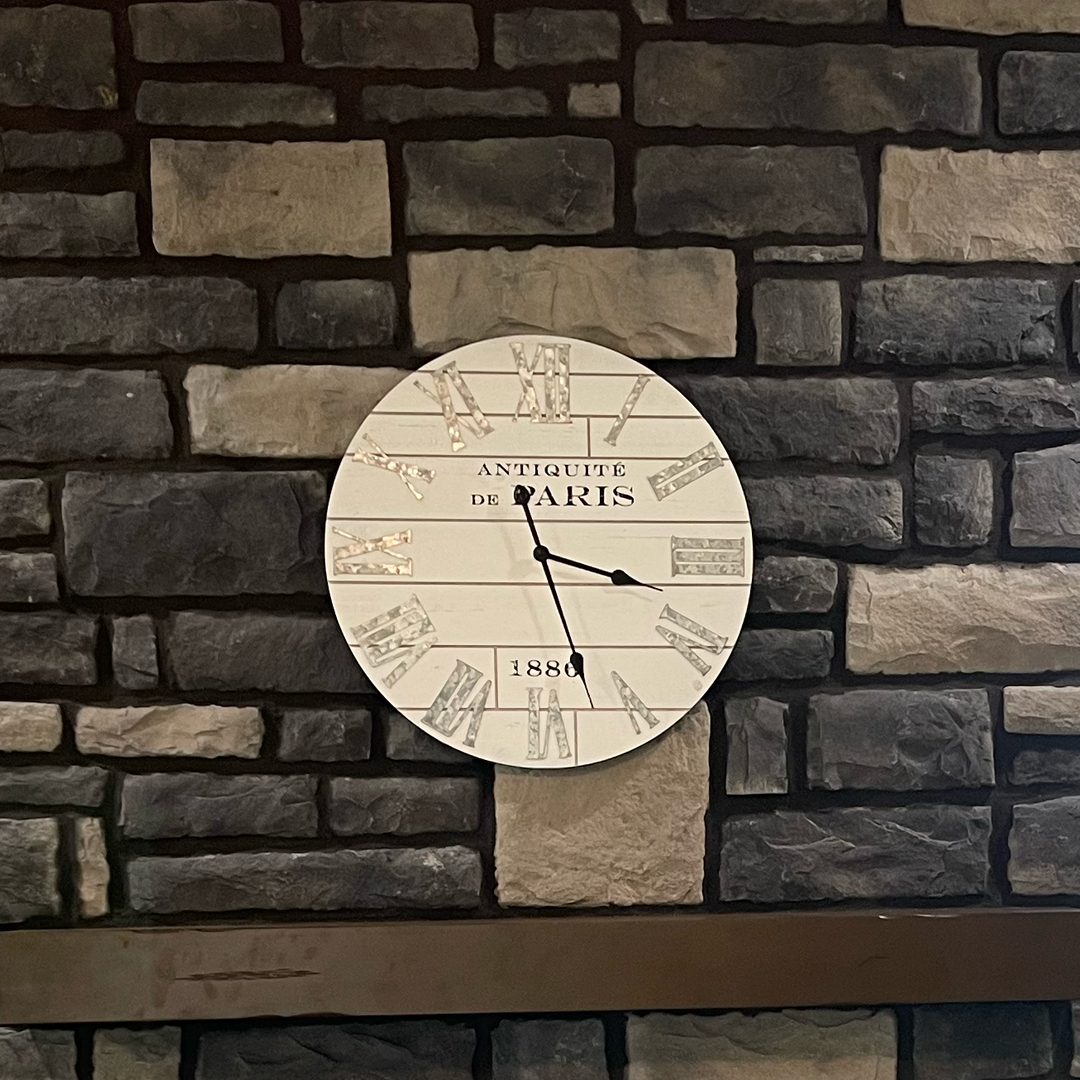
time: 3:27
